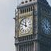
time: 11:49
